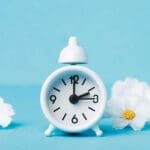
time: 2:00
